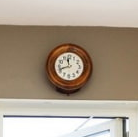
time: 11:41
